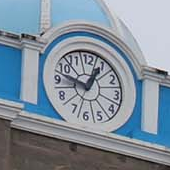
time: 12:47
